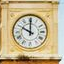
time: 10:00
